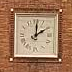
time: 2:01
